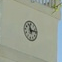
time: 11:13
